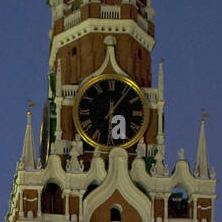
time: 6:06
